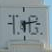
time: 6:12
